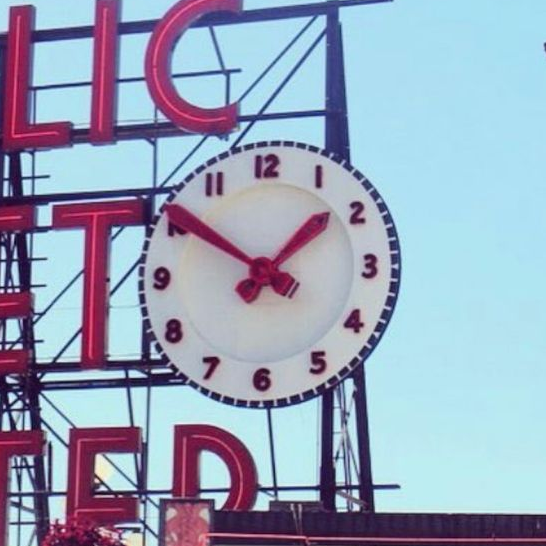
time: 1:50
